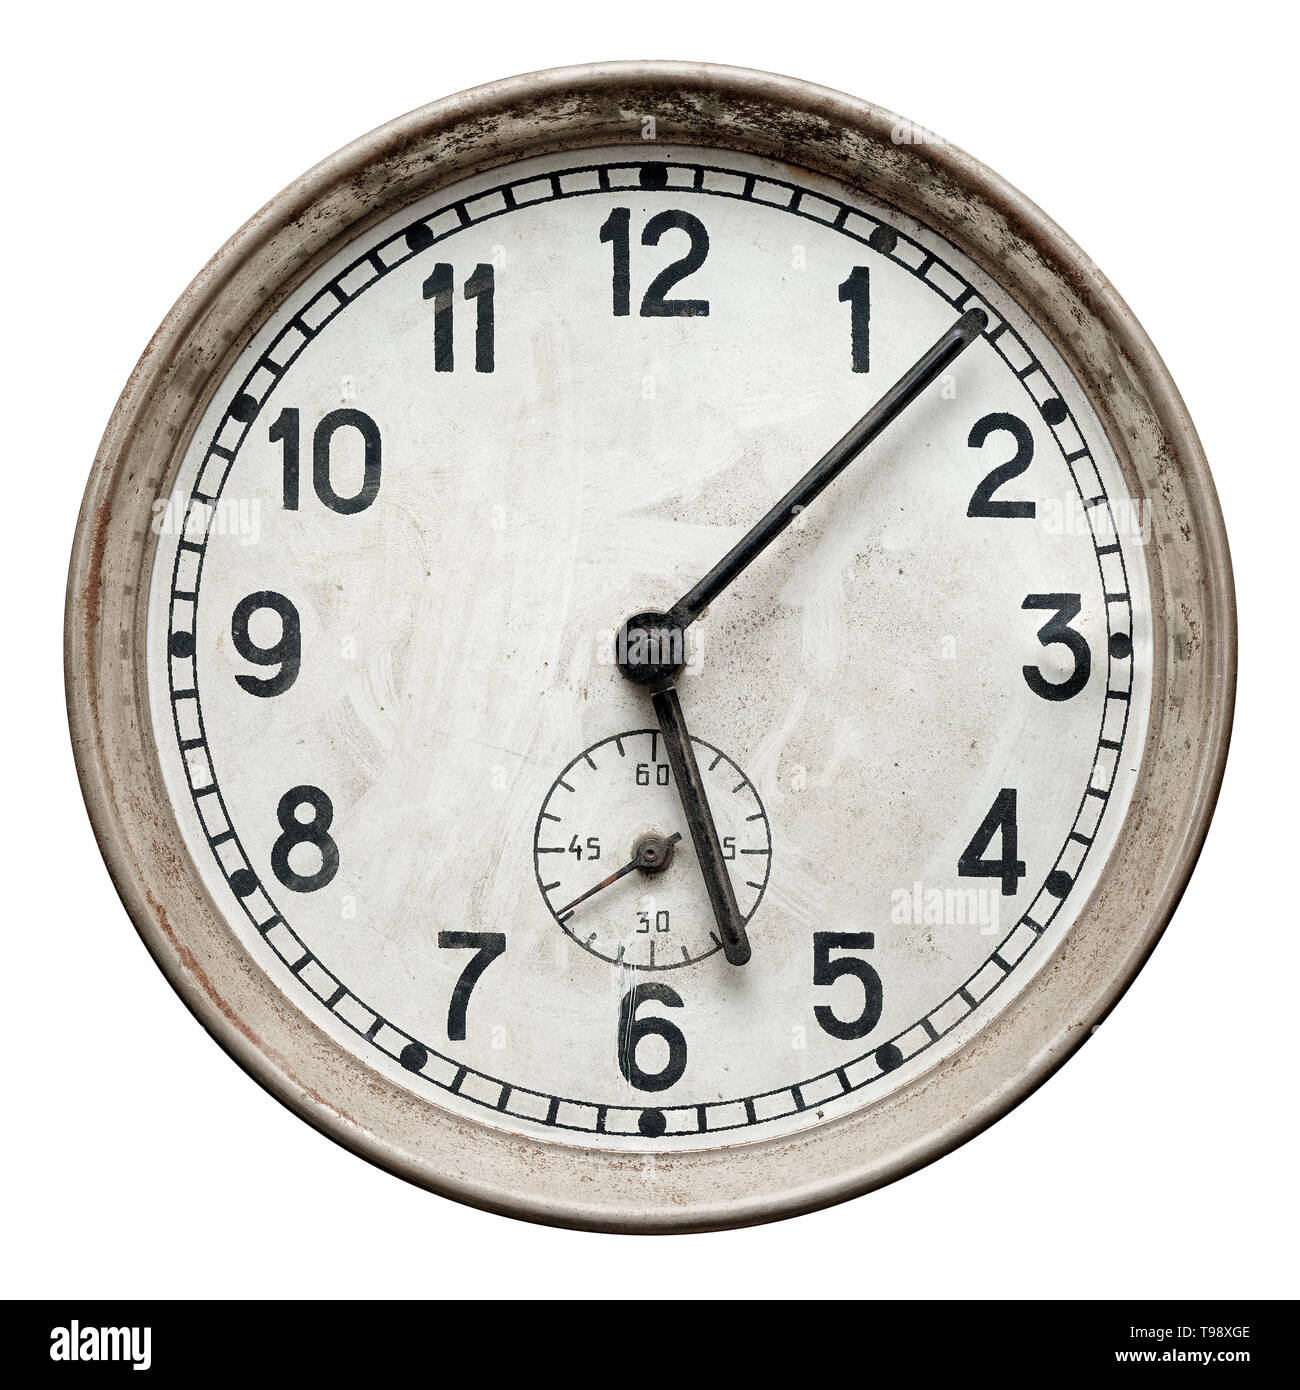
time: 1:27
